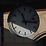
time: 11:15
